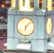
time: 6:07
